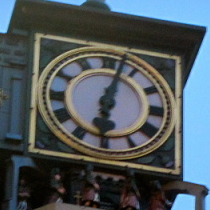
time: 6:02
